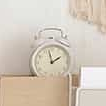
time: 1:58
